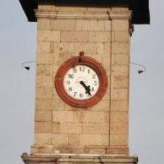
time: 4:23
